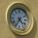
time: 4:35
